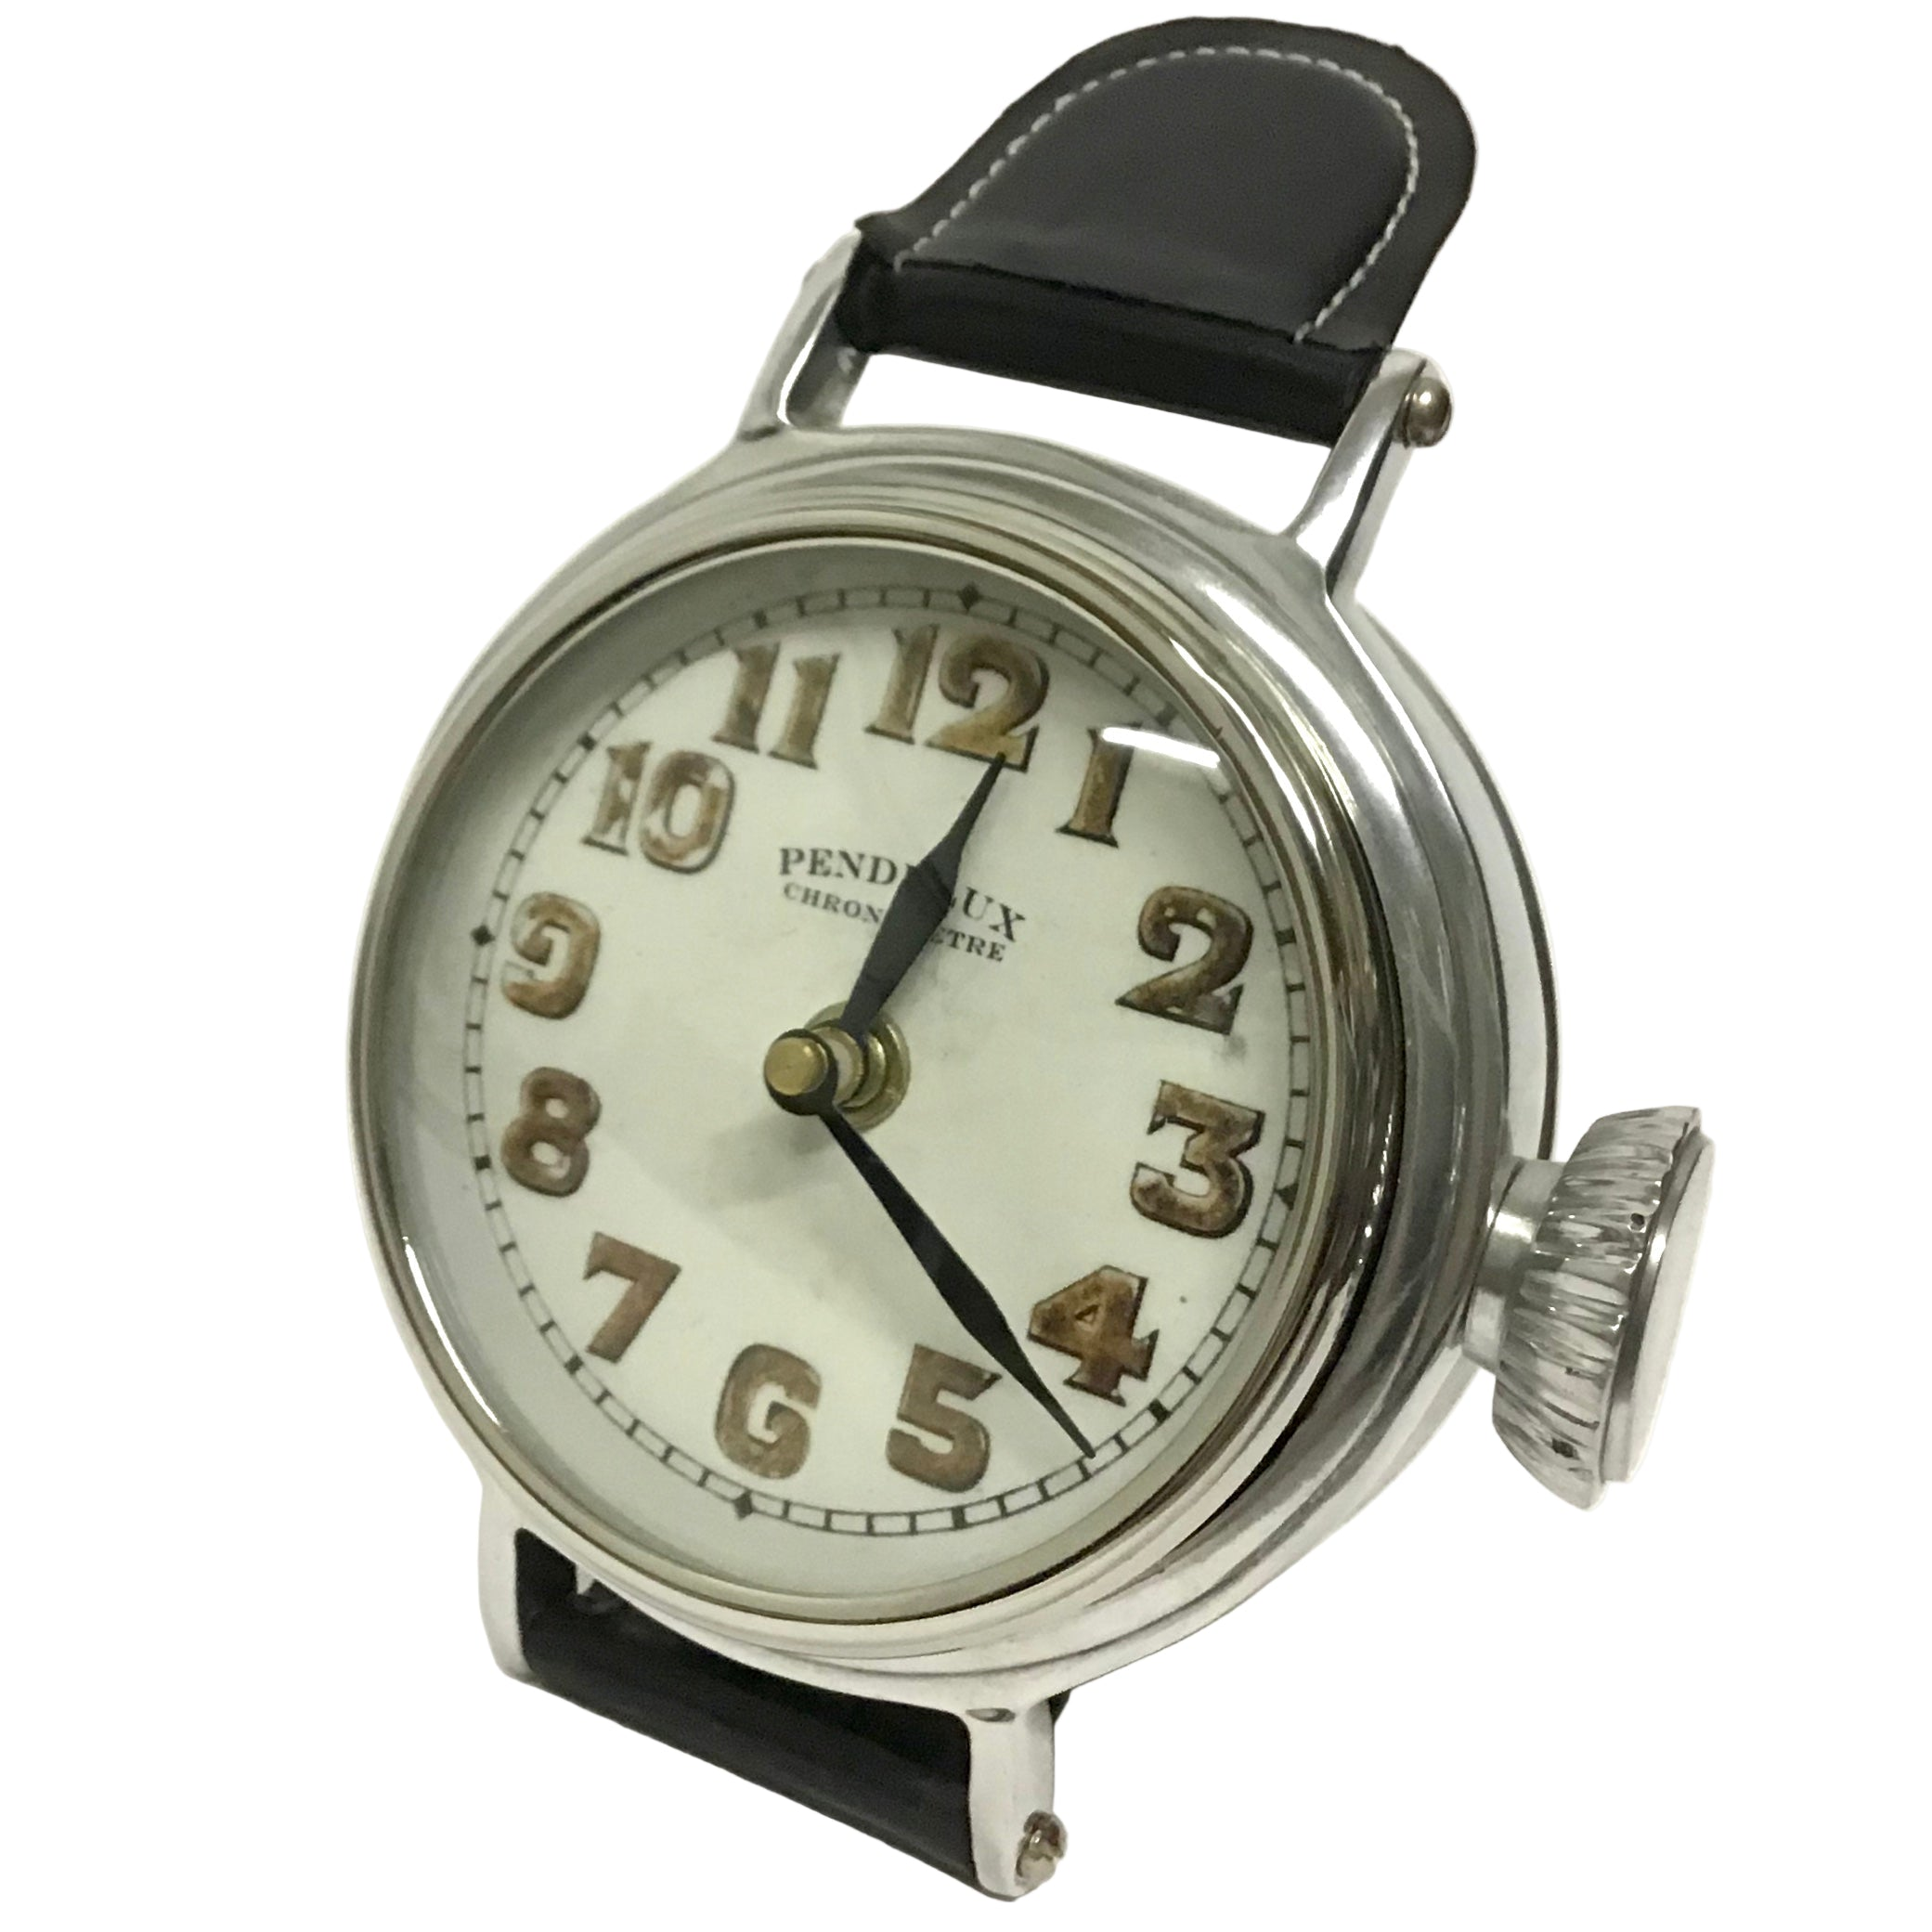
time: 12:21
